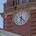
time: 6:23
